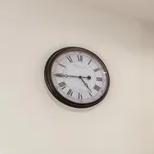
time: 4:44
